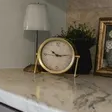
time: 10:14
